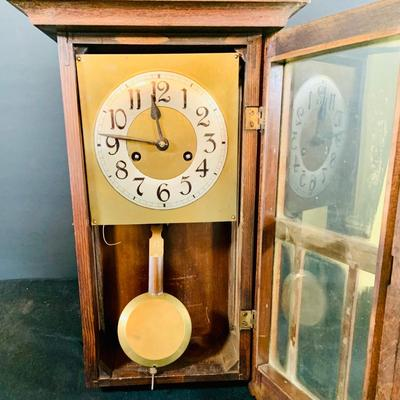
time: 11:46
